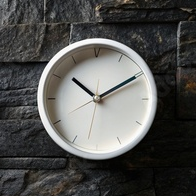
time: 10:10
